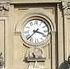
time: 3:37
